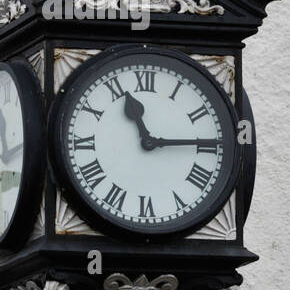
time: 11:14
